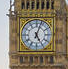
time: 5:03
